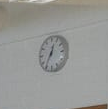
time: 12:35
